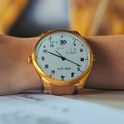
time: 3:48
